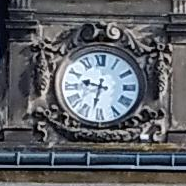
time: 9:32
